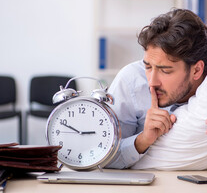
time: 2:49
